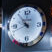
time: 10:41
